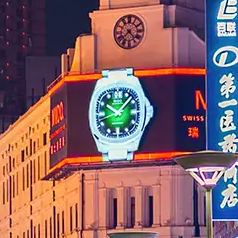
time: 10:07
